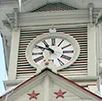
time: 10:50
